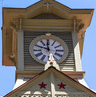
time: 11:48
